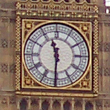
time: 11:30
